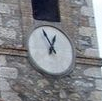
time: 12:55
